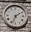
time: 1:33
